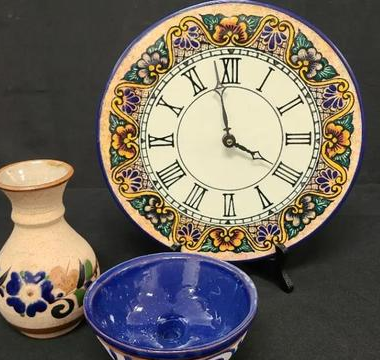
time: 3:58
